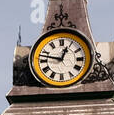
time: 12:47
